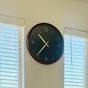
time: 10:36
